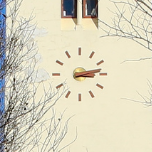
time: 3:13
